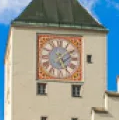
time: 5:09
